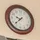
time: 9:37
